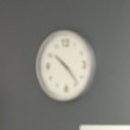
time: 10:23
